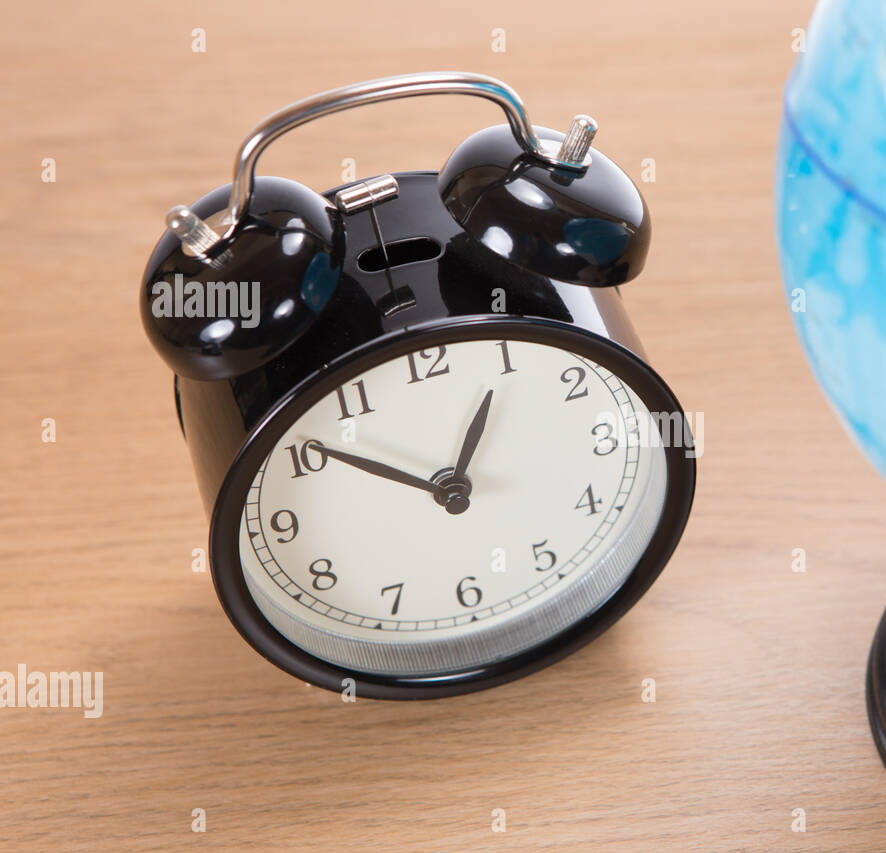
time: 12:51
